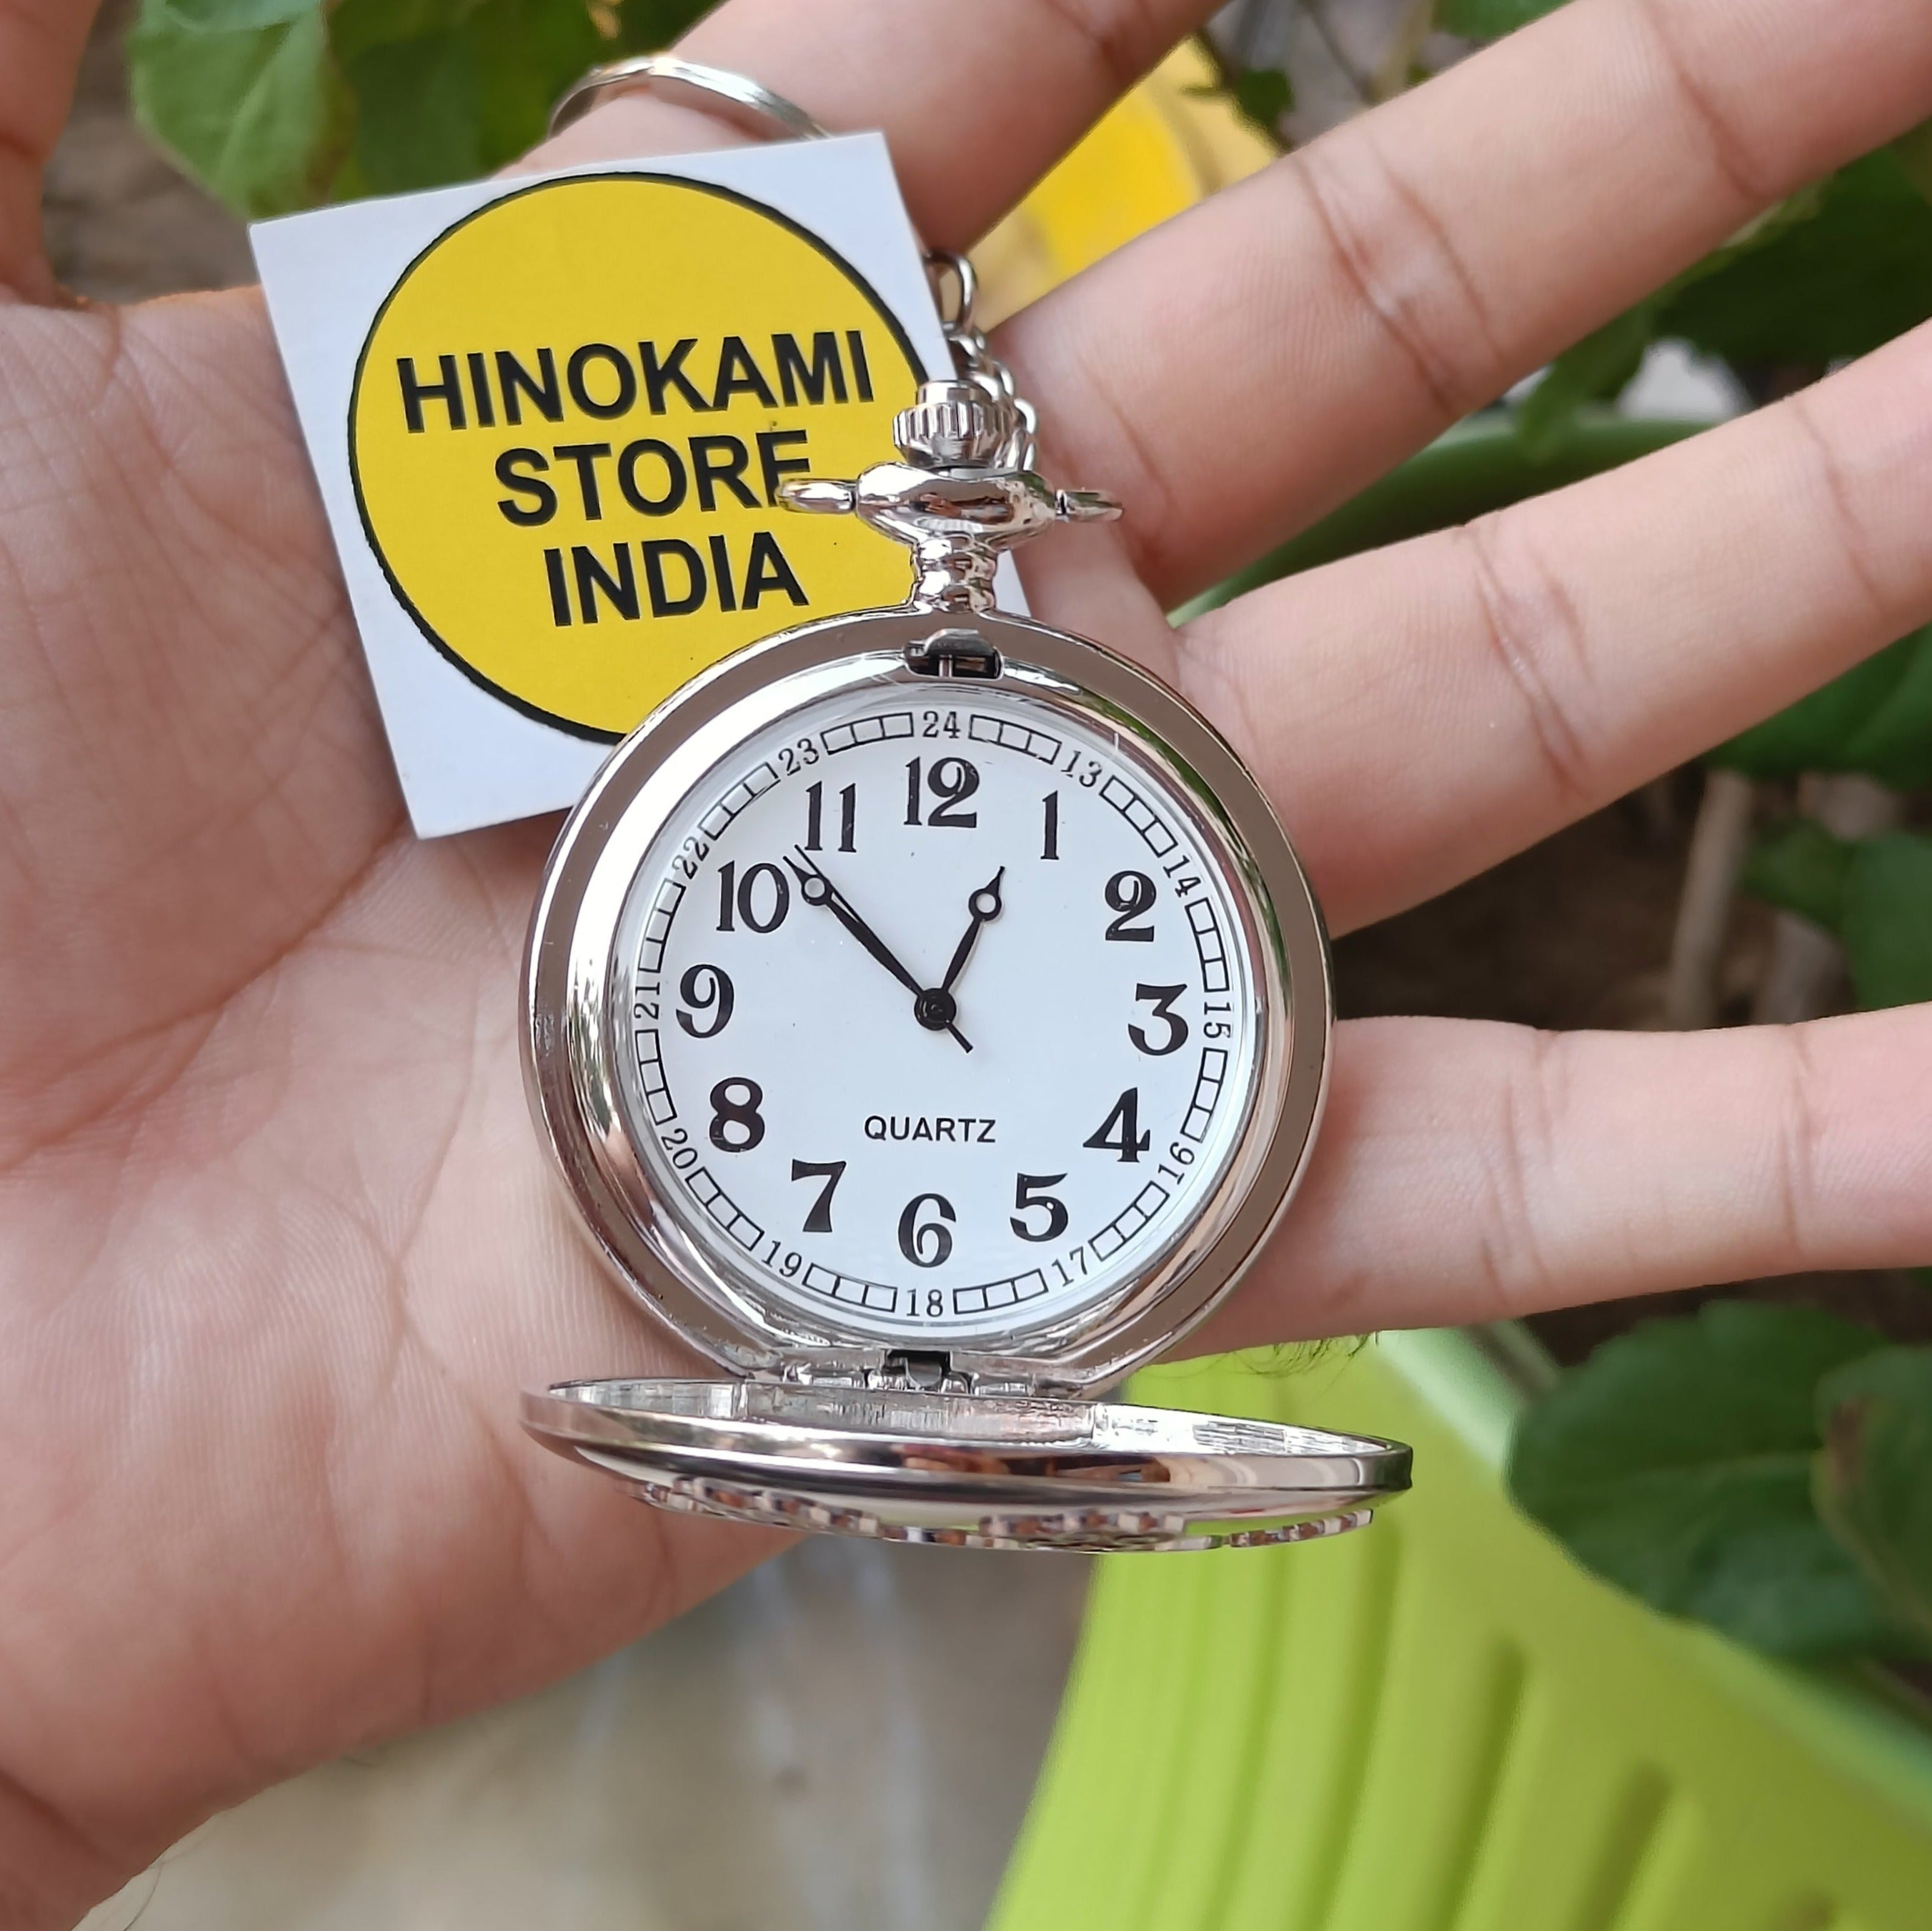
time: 12:51
